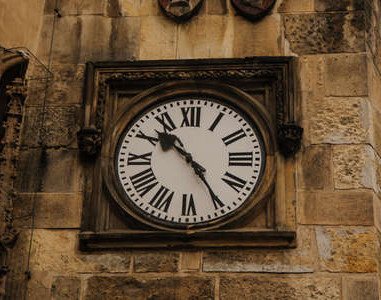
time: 10:24
